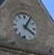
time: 4:04
